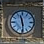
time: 11:29
